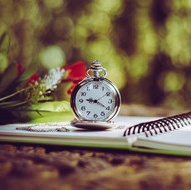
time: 9:20
